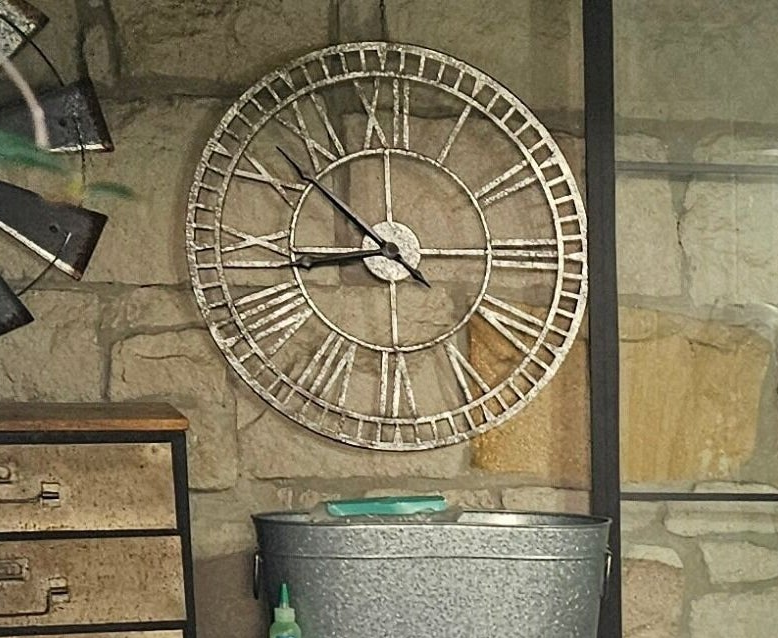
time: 8:52
